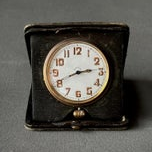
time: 2:41
